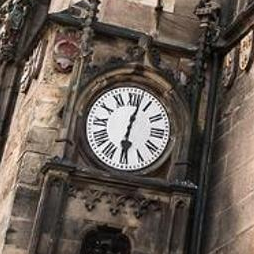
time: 6:02
